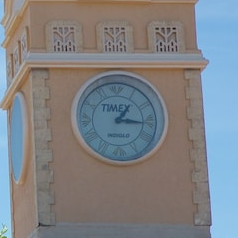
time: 1:16
